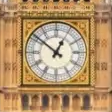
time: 12:51
